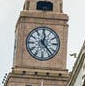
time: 12:22
